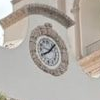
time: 8:07
